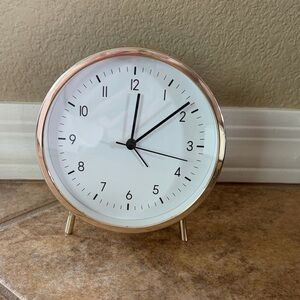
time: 12:08
